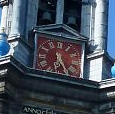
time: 6:25
